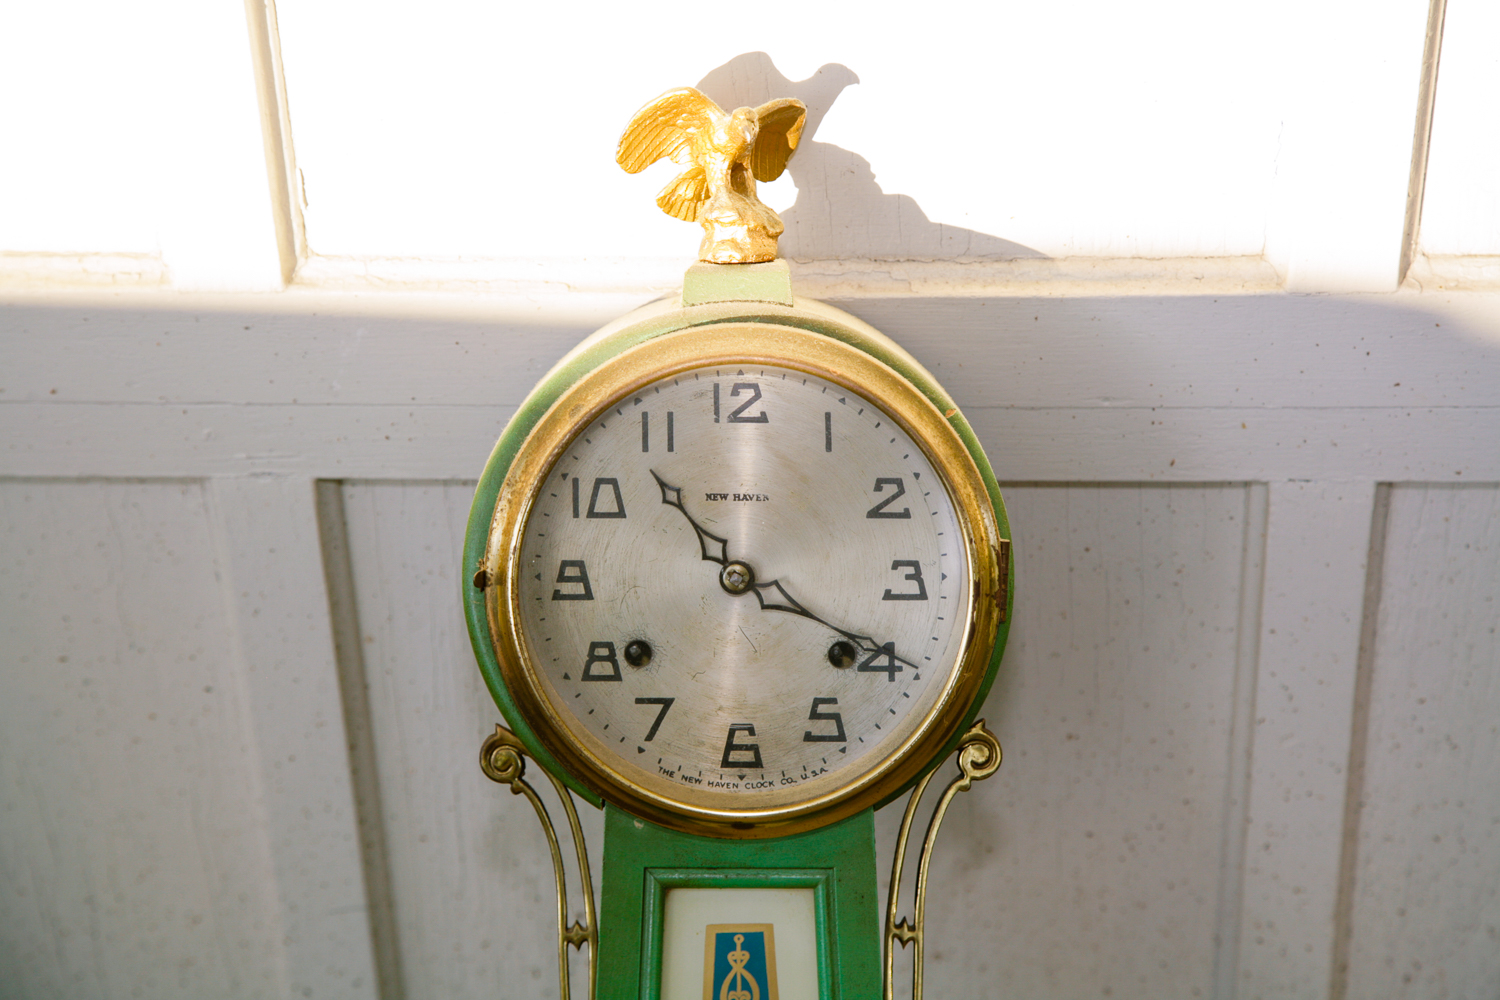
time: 3:53
